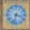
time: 3:32
